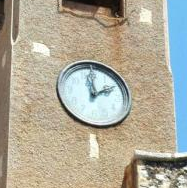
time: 1:59
